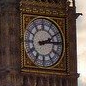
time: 2:14
